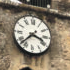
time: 3:37
